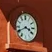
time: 3:40
